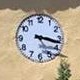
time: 3:17
